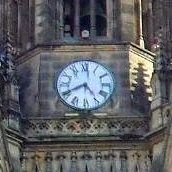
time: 4:40
